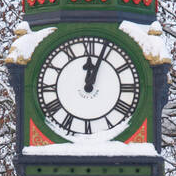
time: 12:03
